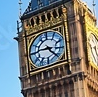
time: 4:45
